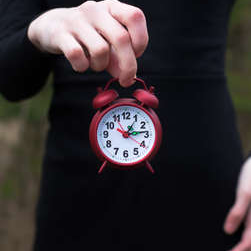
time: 1:13
